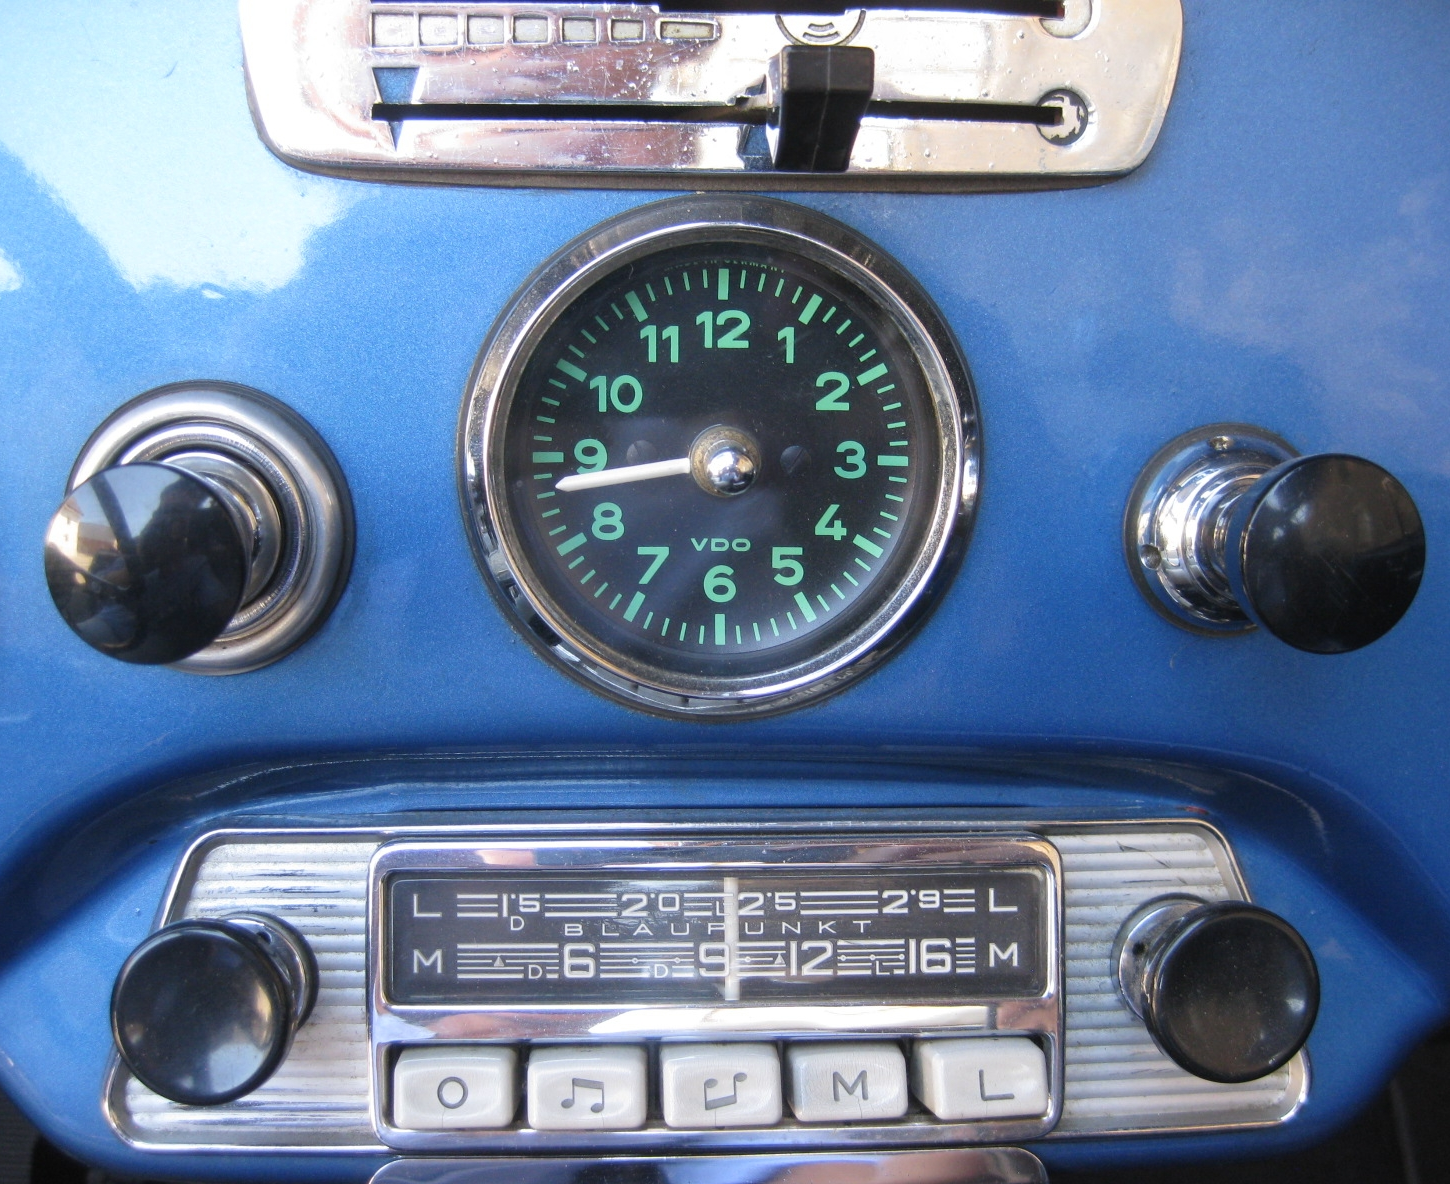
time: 8:43
